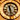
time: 11:28
